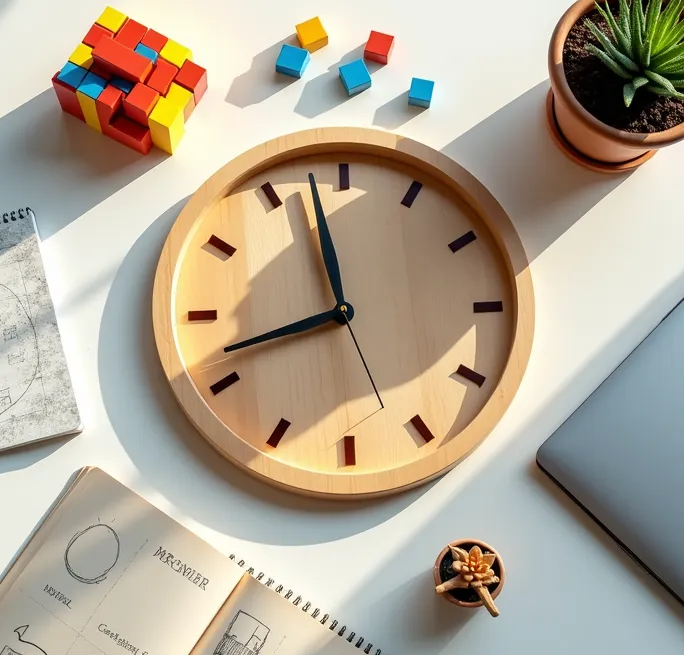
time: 11:42
